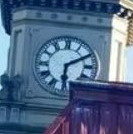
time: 6:10
